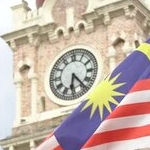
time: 6:23
